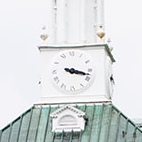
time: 3:17
